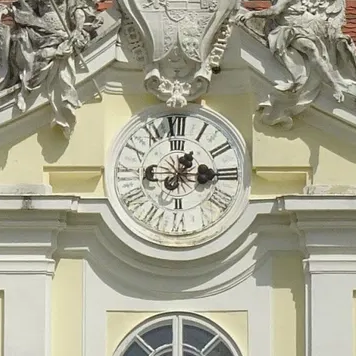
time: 1:14
